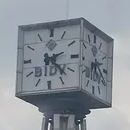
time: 2:22
